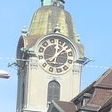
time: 12:07
